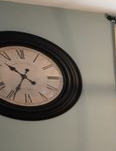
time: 10:34
